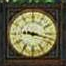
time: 9:17
